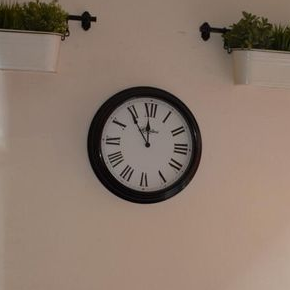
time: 11:54
